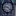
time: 9:22
